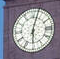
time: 6:02
